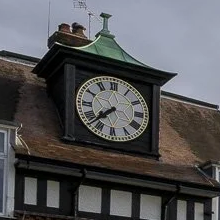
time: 7:37
